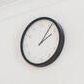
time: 2:06
